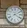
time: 4:10
